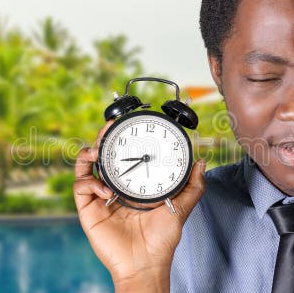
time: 8:38
